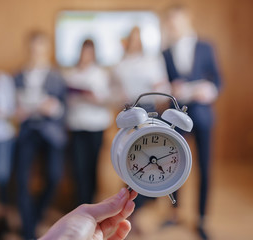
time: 4:37
